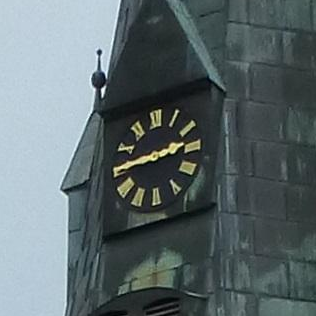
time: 2:45
